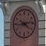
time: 4:13
